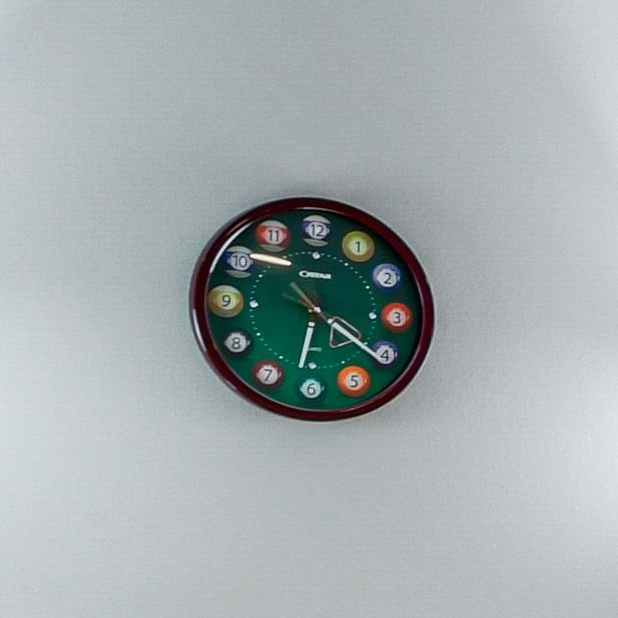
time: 6:21
